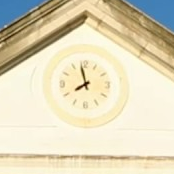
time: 7:58
